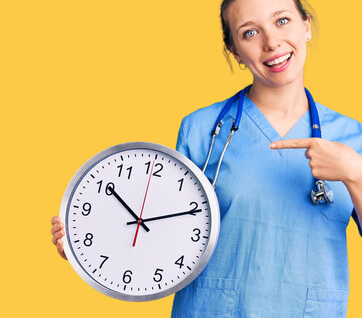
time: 10:10
